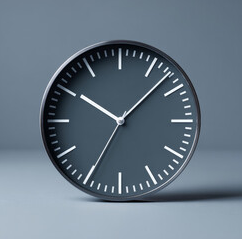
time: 10:07
